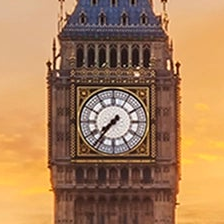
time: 7:36
